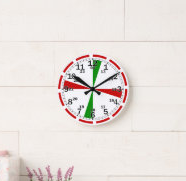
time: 10:09
